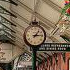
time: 1:13
